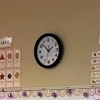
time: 1:52
